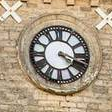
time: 4:18
